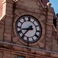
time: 8:36
